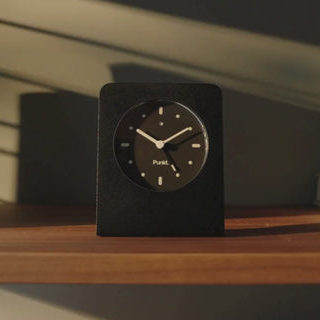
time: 4:50
